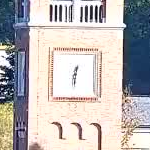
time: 12:30
